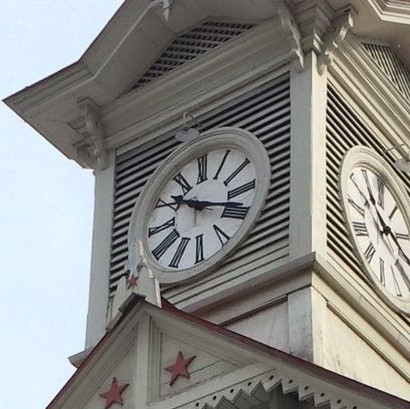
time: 10:18
